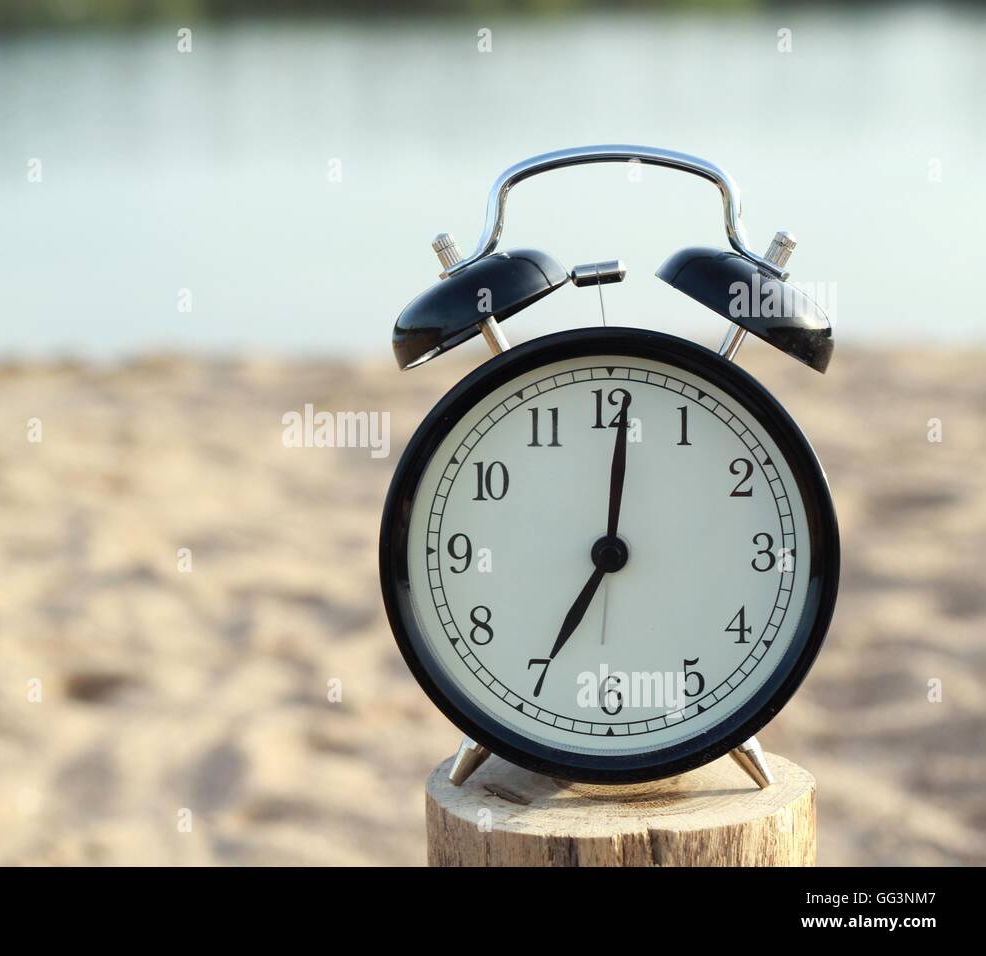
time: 7:01
